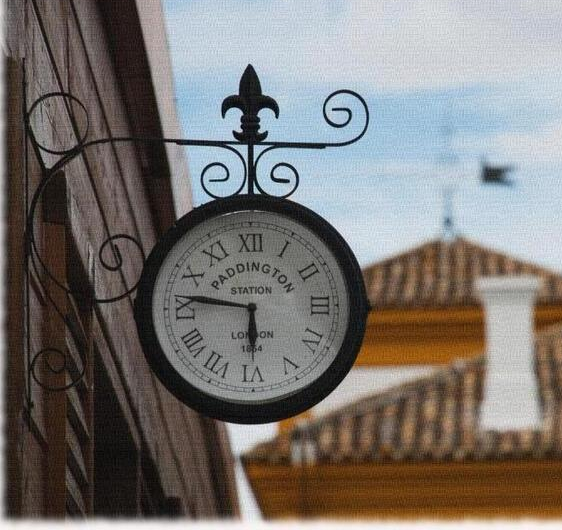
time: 5:46
